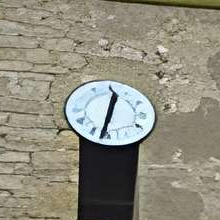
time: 12:32
